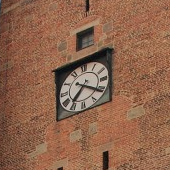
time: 7:20
